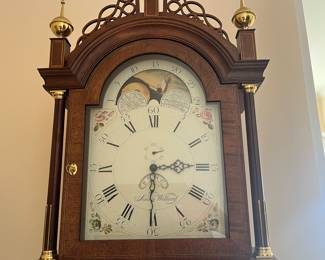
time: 6:14
